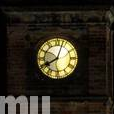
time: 8:03
